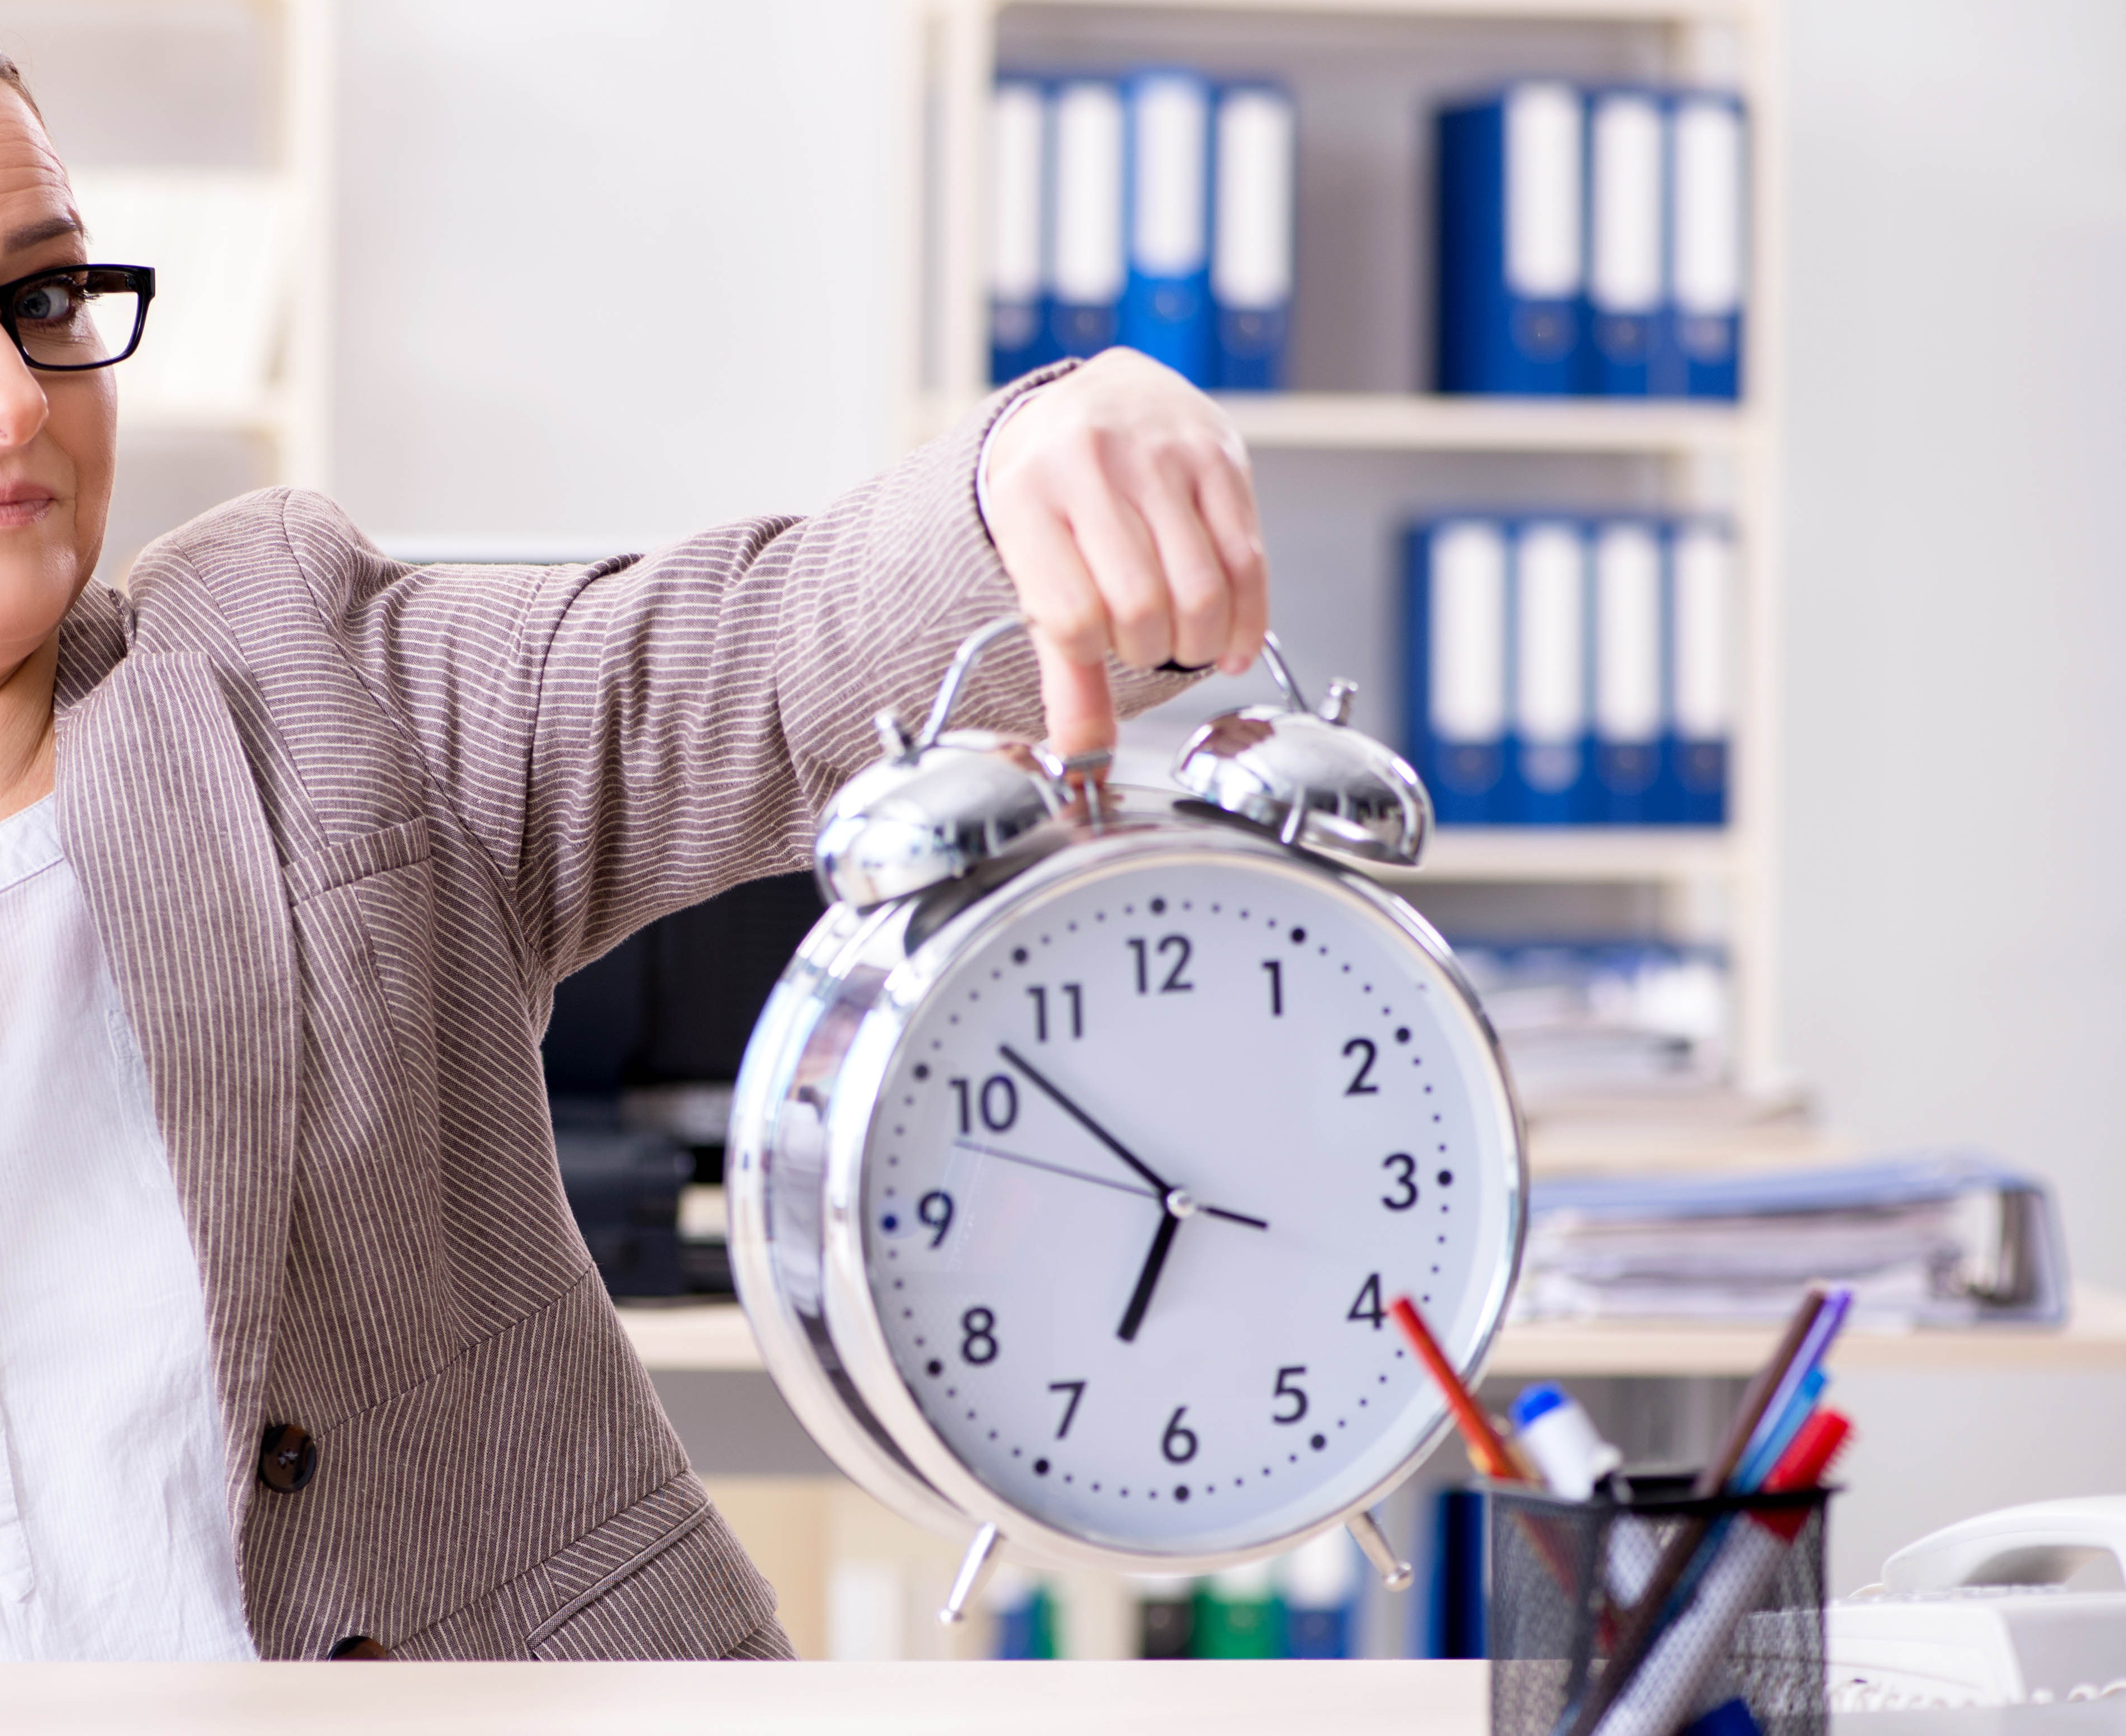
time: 6:52
